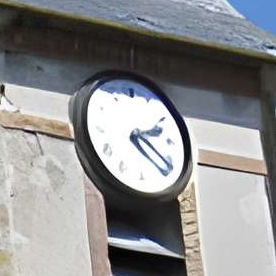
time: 2:21
